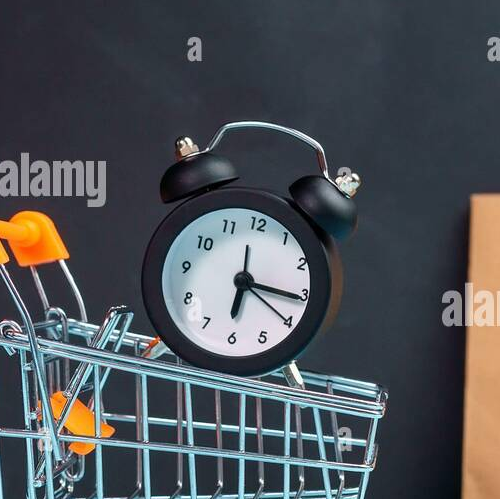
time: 6:15
